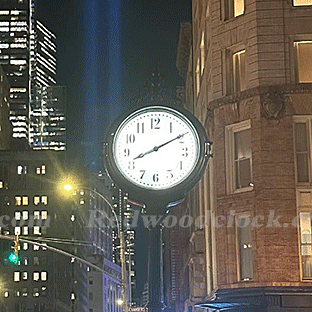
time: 8:09
